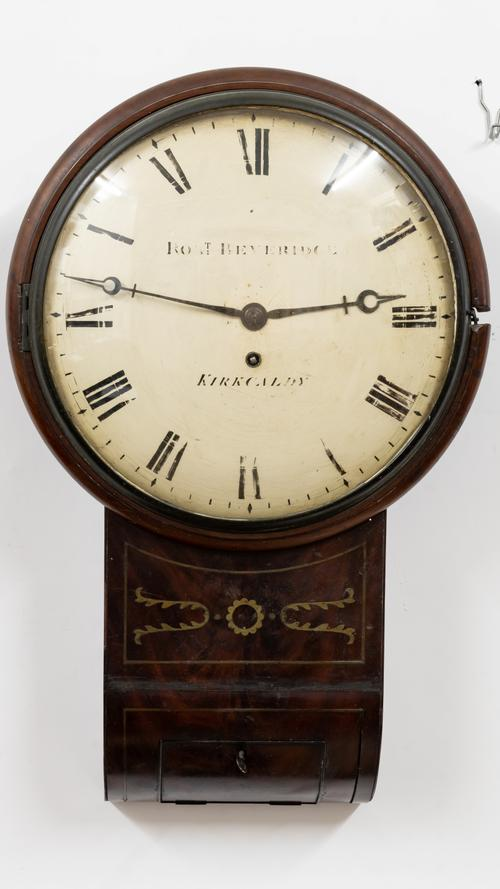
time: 2:46
